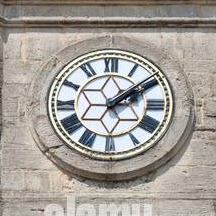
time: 2:09
